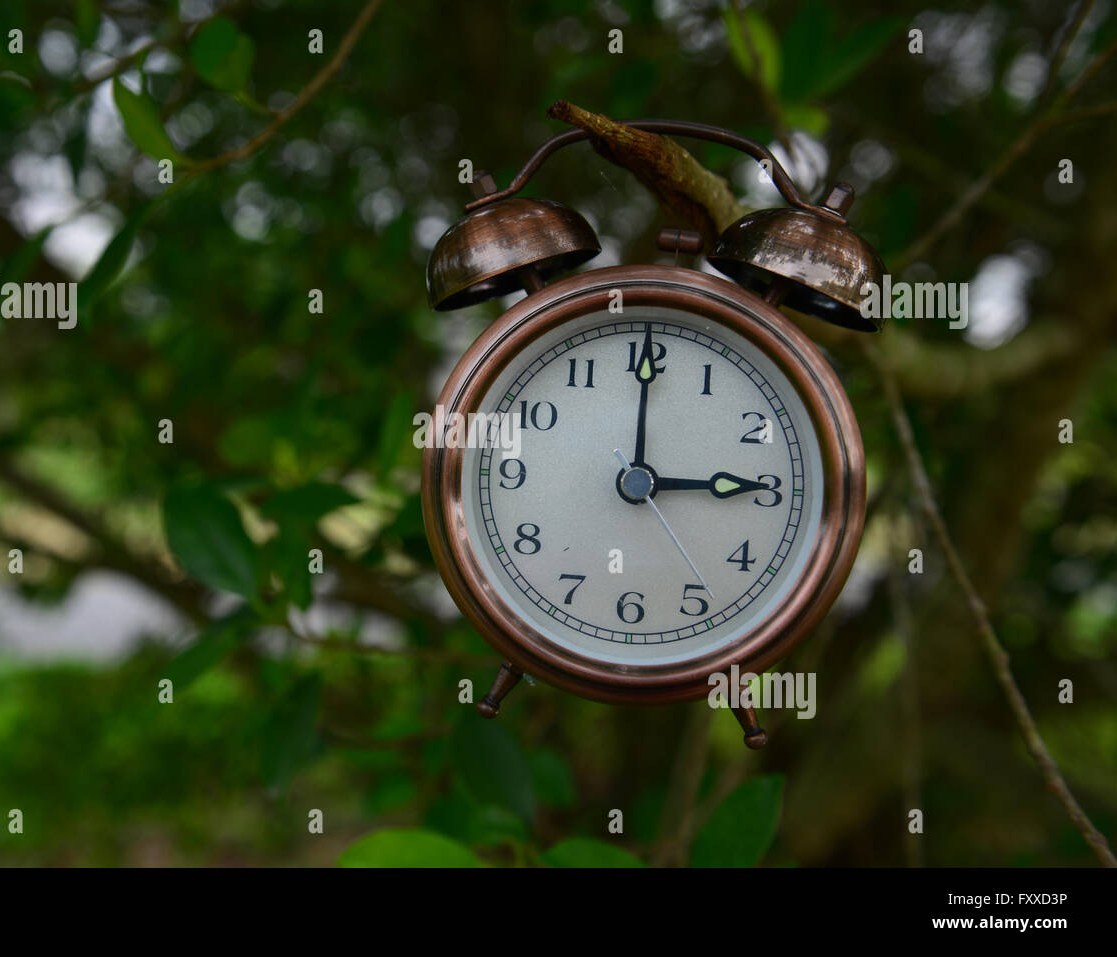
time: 3:00
